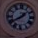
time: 1:39
